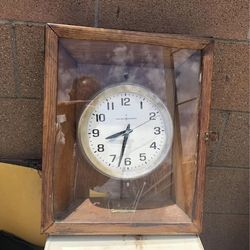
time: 8:32
